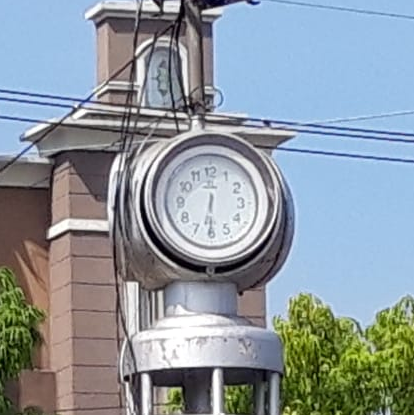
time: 6:30
